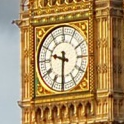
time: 9:31
